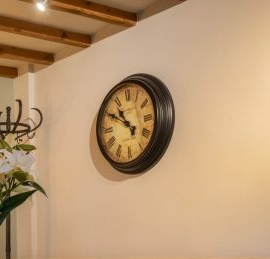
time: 10:50
